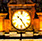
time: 10:24
